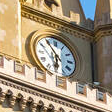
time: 5:54
